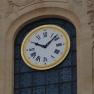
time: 10:07
